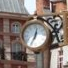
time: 12:34
